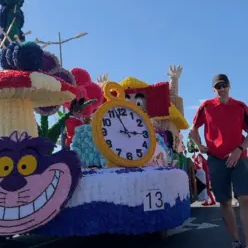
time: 2:56
